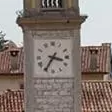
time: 3:35
